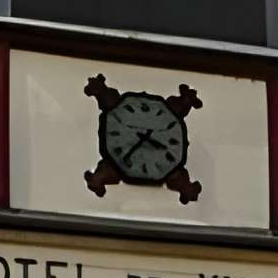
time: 3:36
